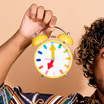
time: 7:00
